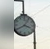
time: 3:40
